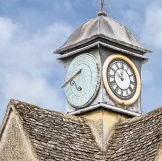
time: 7:40
